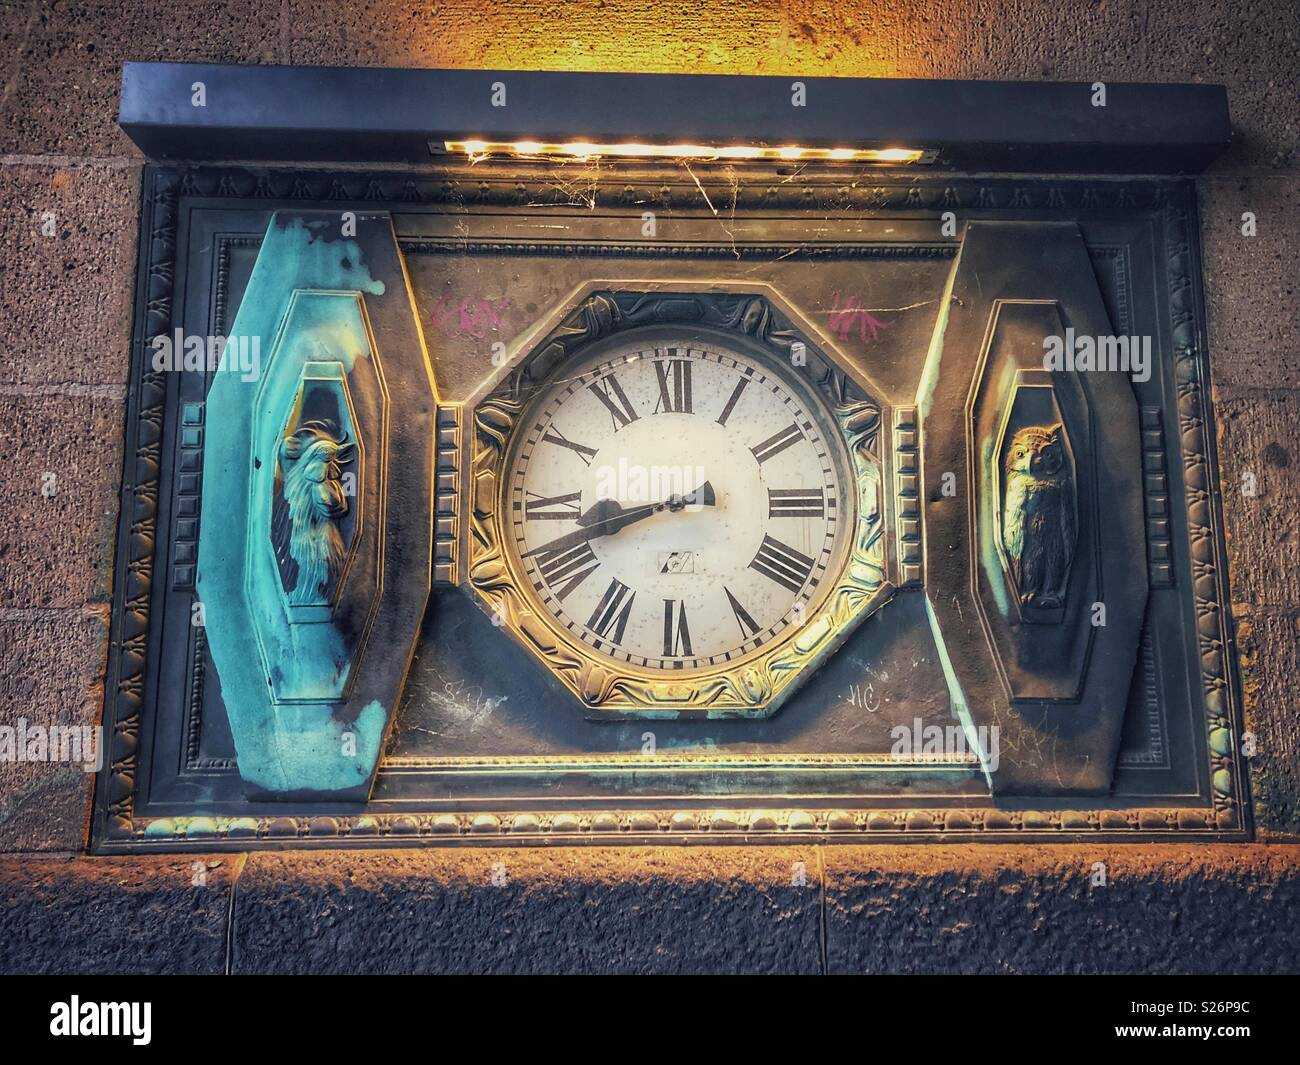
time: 8:41
